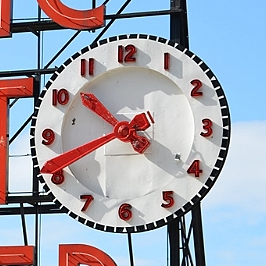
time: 10:41
